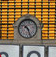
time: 10:26
